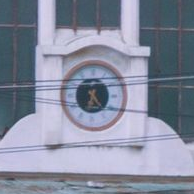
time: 6:23
